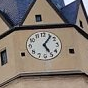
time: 5:06
